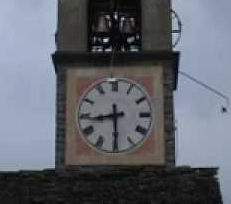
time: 8:29
